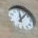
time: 12:07
